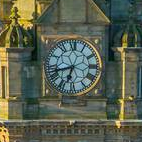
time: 6:42
